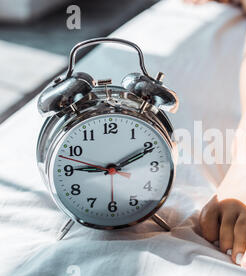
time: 9:10
